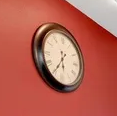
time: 5:35
